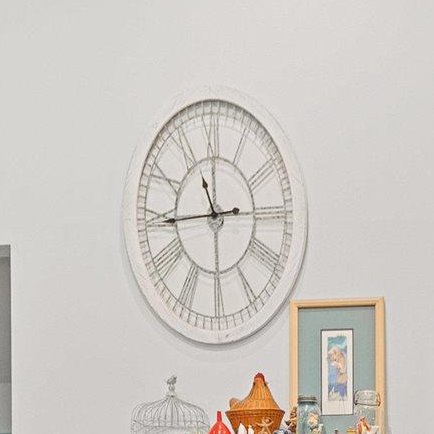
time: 11:44
